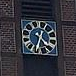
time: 4:33
